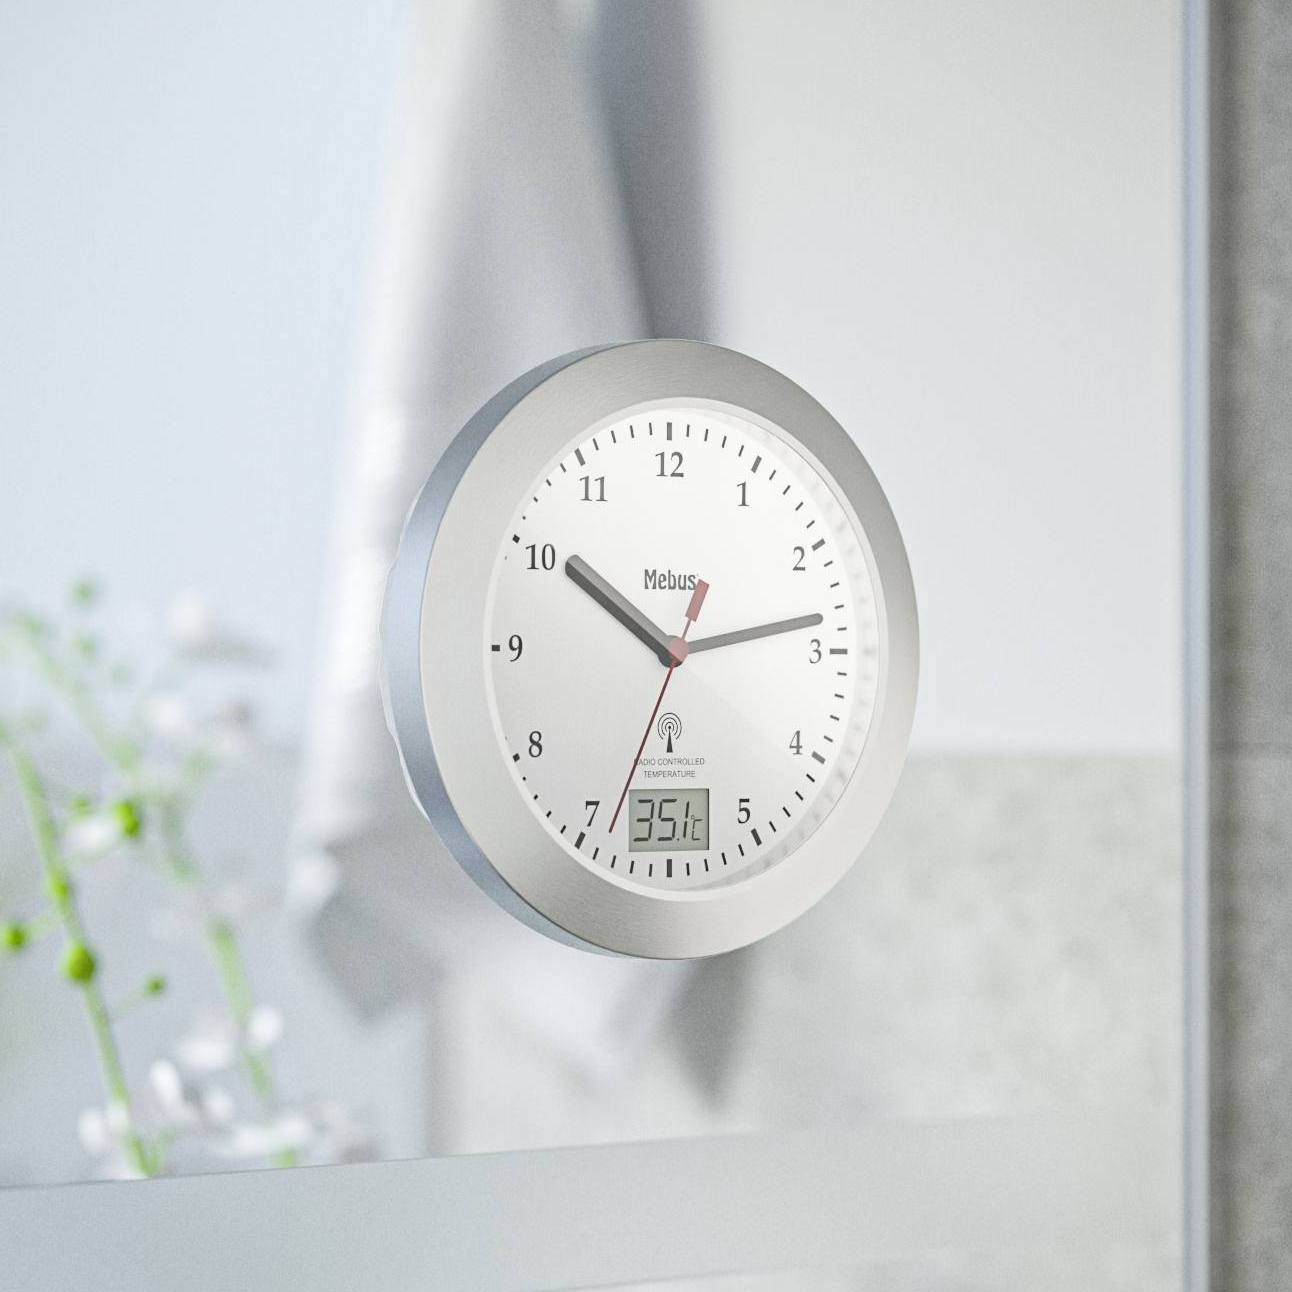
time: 10:13
